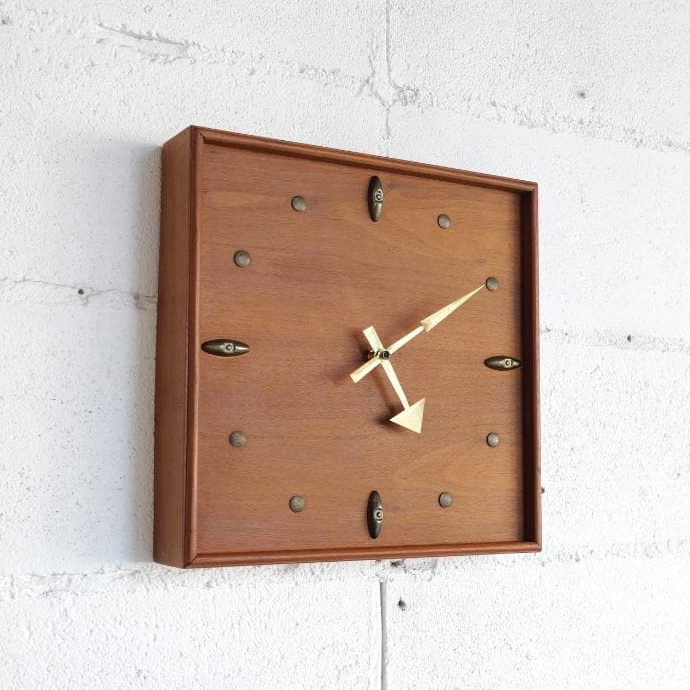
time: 5:09
